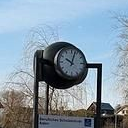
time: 10:03
